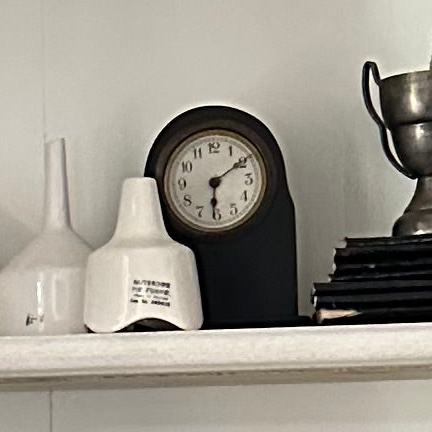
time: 6:09
